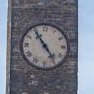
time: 4:54
